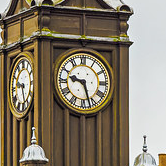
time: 9:27
